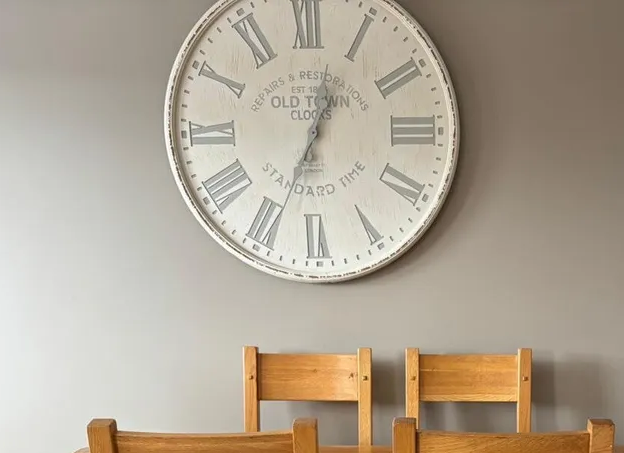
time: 12:34
